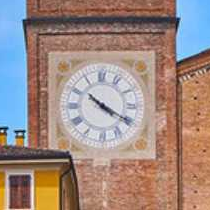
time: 10:20
